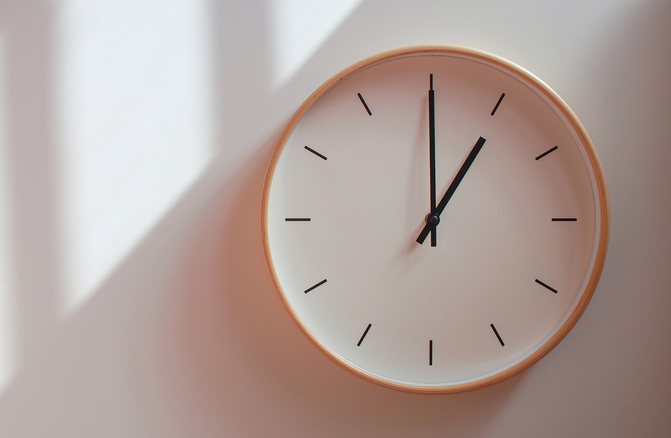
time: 1:00
